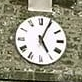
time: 5:04
